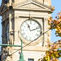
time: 11:11
